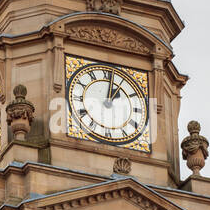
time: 1:01
